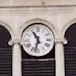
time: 11:32
